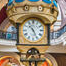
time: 10:26
